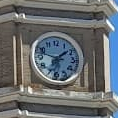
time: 1:47
